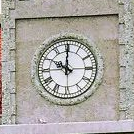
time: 10:00
